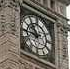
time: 10:45
